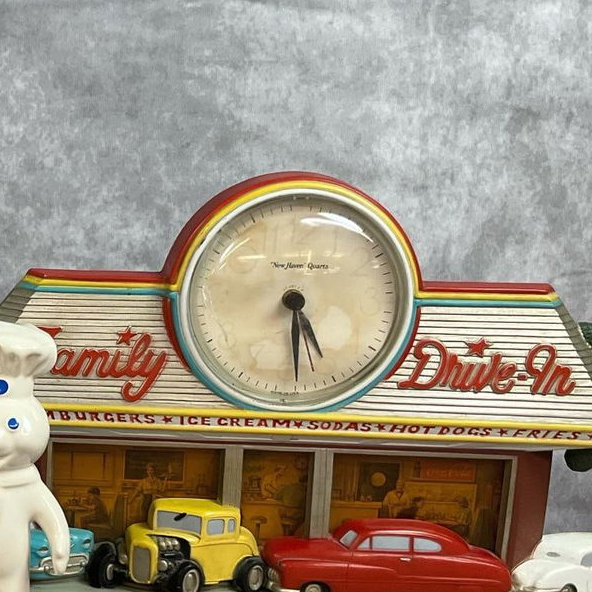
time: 5:29
